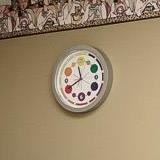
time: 11:40
